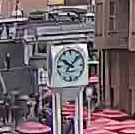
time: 10:07
